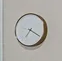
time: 7:20
